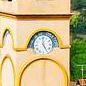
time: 4:59
